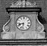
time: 8:32
